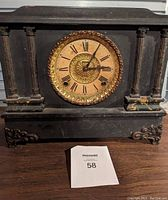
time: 3:04
